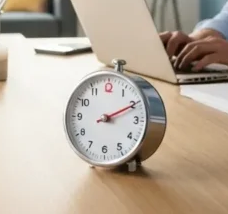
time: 2:10
